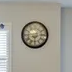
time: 6:13
